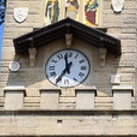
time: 11:35
